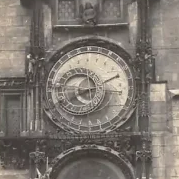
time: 8:11
